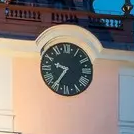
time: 9:35
